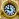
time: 11:46
